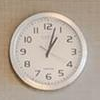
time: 1:02
